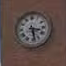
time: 3:28
